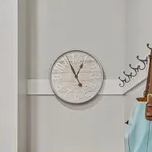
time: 12:55
